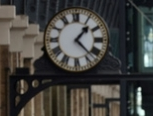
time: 1:22
